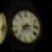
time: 7:13
